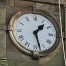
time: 1:27
